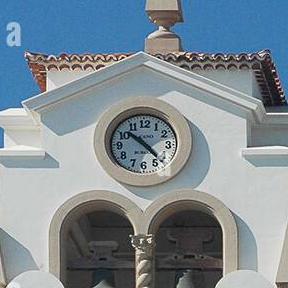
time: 10:22
